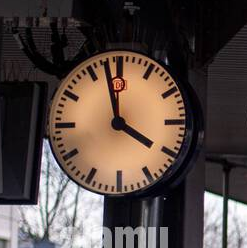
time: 3:58
